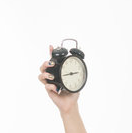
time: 2:43
